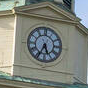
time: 5:34
